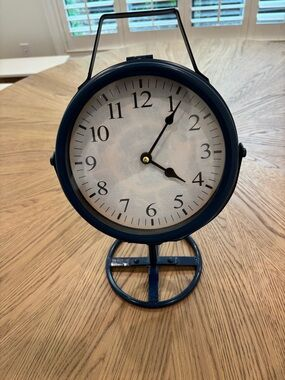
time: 4:06
